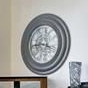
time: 3:43
